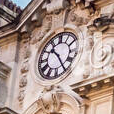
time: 10:24
